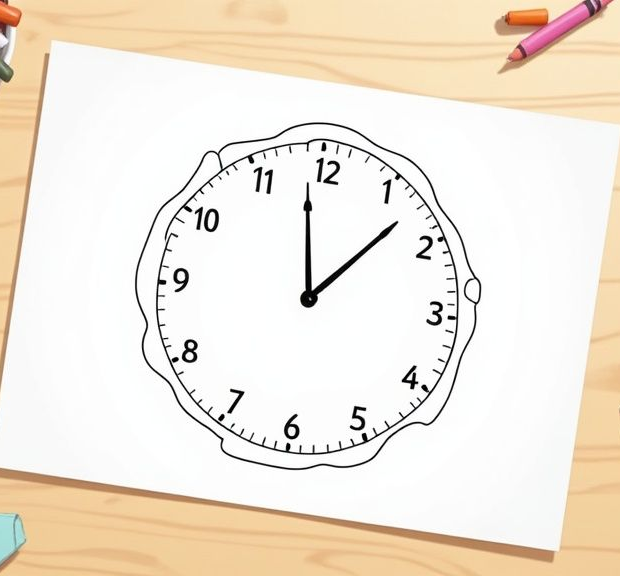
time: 12:07
